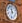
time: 11:32
